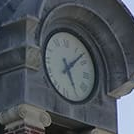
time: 5:07
